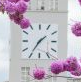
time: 1:35
